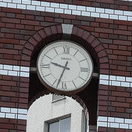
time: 9:33
